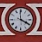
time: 3:59
